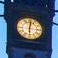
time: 6:01
